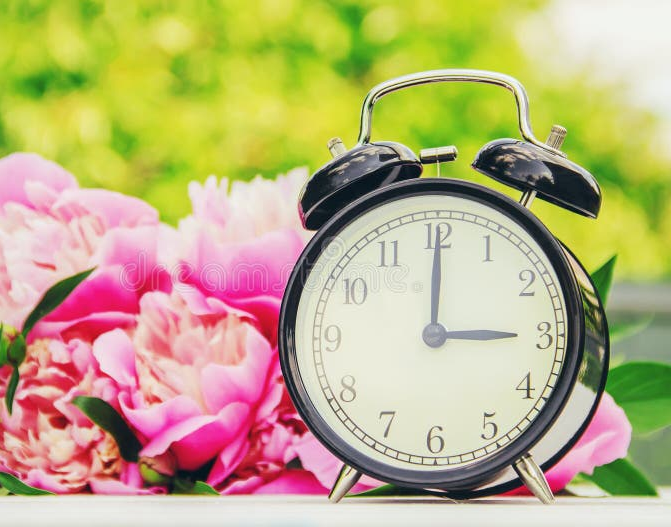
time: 3:00
